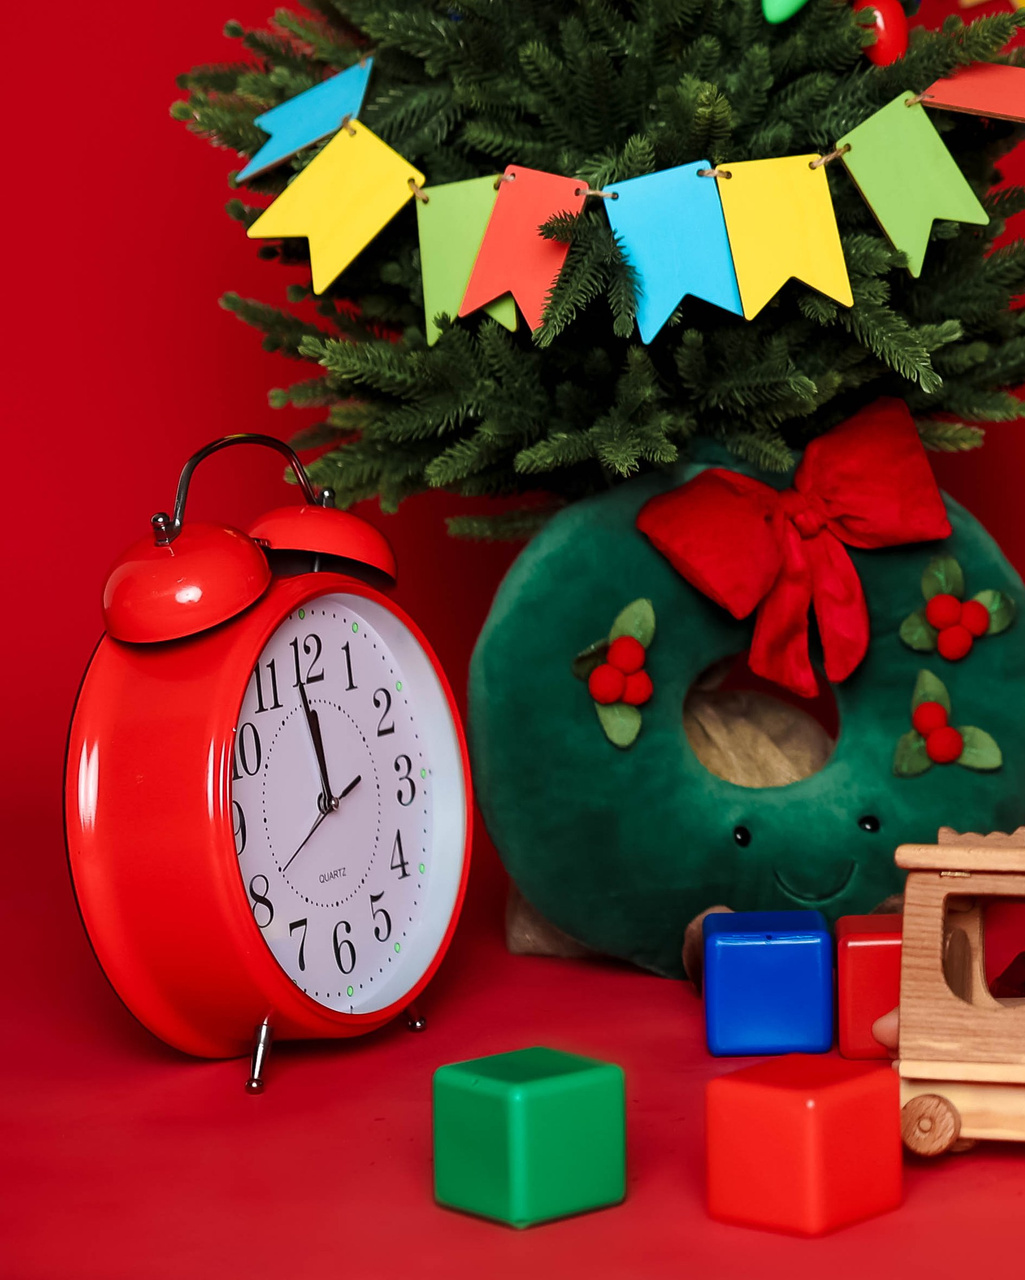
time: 11:58
